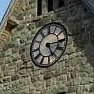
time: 5:15
